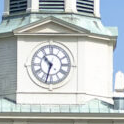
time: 10:32
